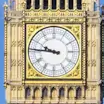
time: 9:45
